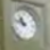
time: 10:47
